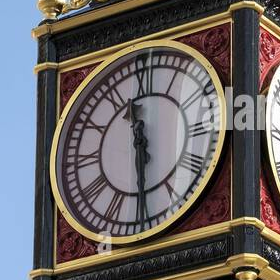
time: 11:29
